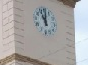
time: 11:00
